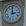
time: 3:00
